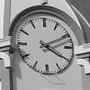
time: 4:10
